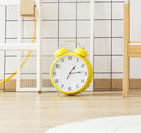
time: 1:14
